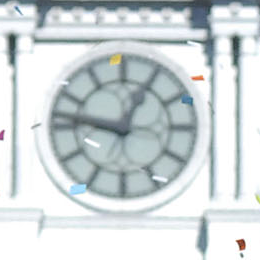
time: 12:46
